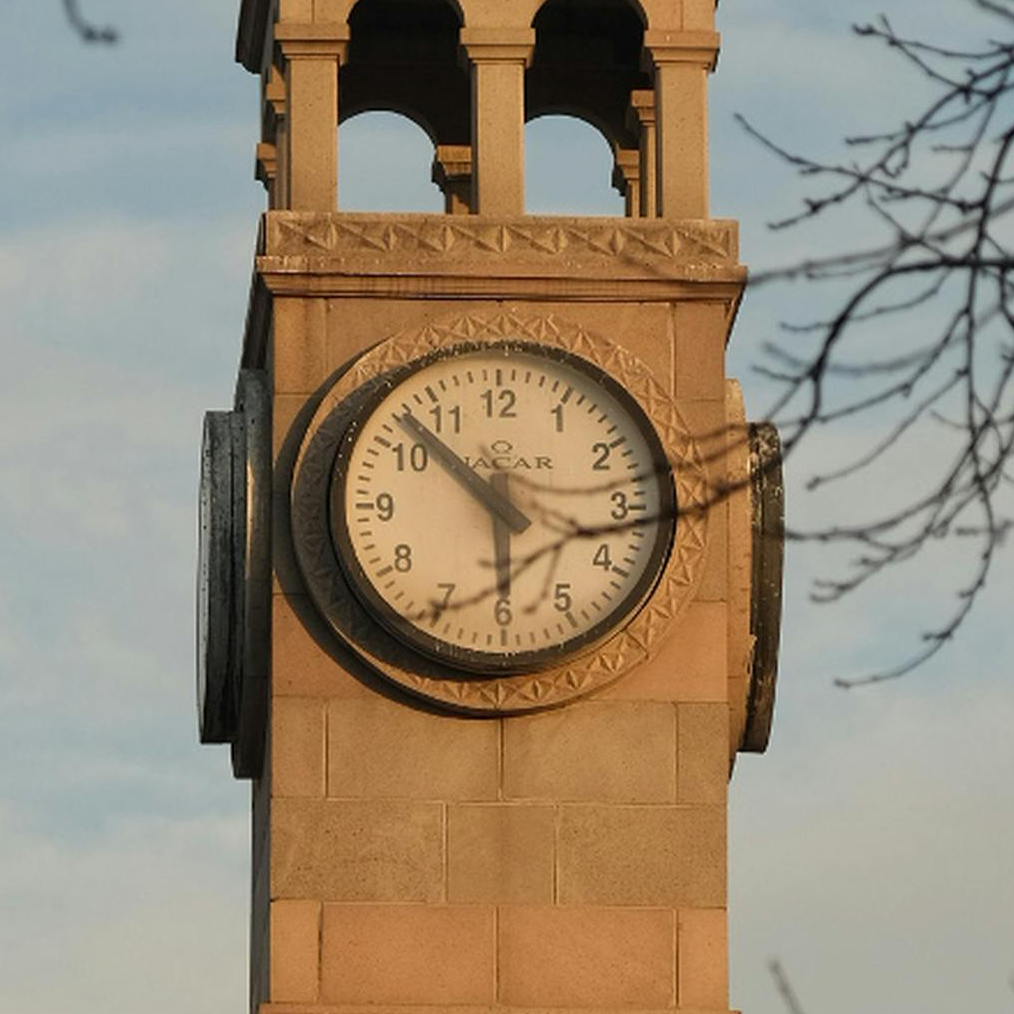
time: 5:52
